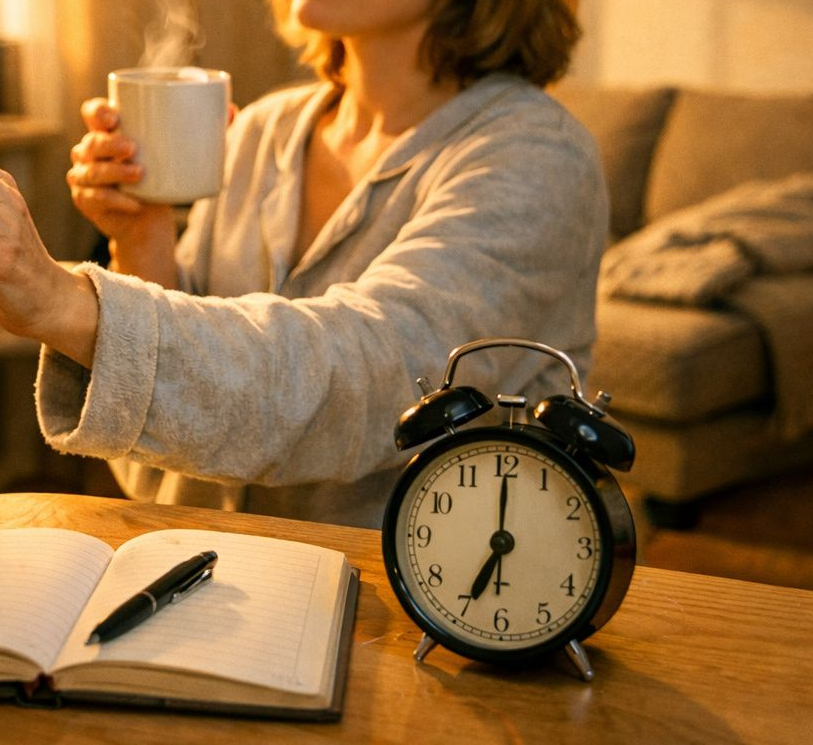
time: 7:00
